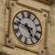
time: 4:46
